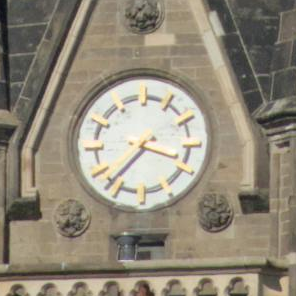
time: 3:37
